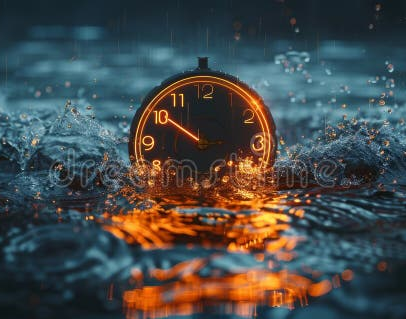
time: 9:50
